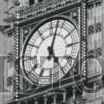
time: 5:03
